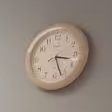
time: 3:26
